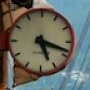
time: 5:18
